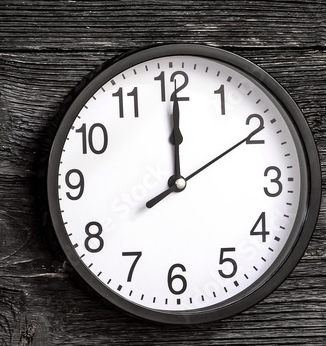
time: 12:00
